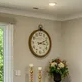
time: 3:11
